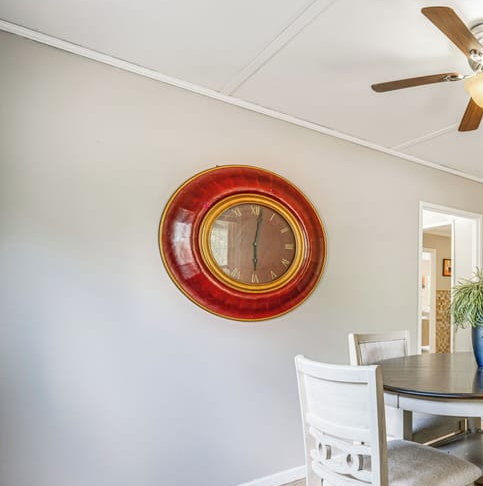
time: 6:01
